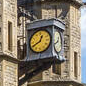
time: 12:40
